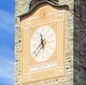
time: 11:37
